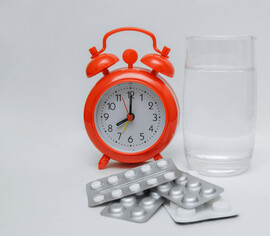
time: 8:00
